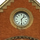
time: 1:29
